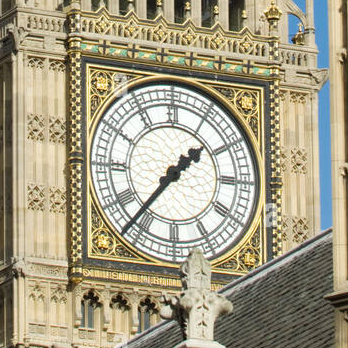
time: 1:36
